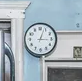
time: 3:03
